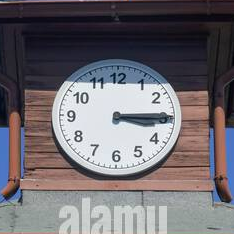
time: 3:14
